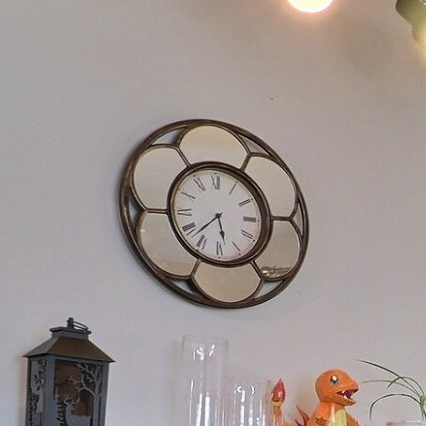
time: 5:37
